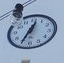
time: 12:34
